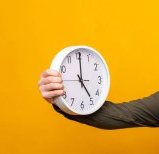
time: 5:00
